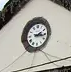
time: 2:16
